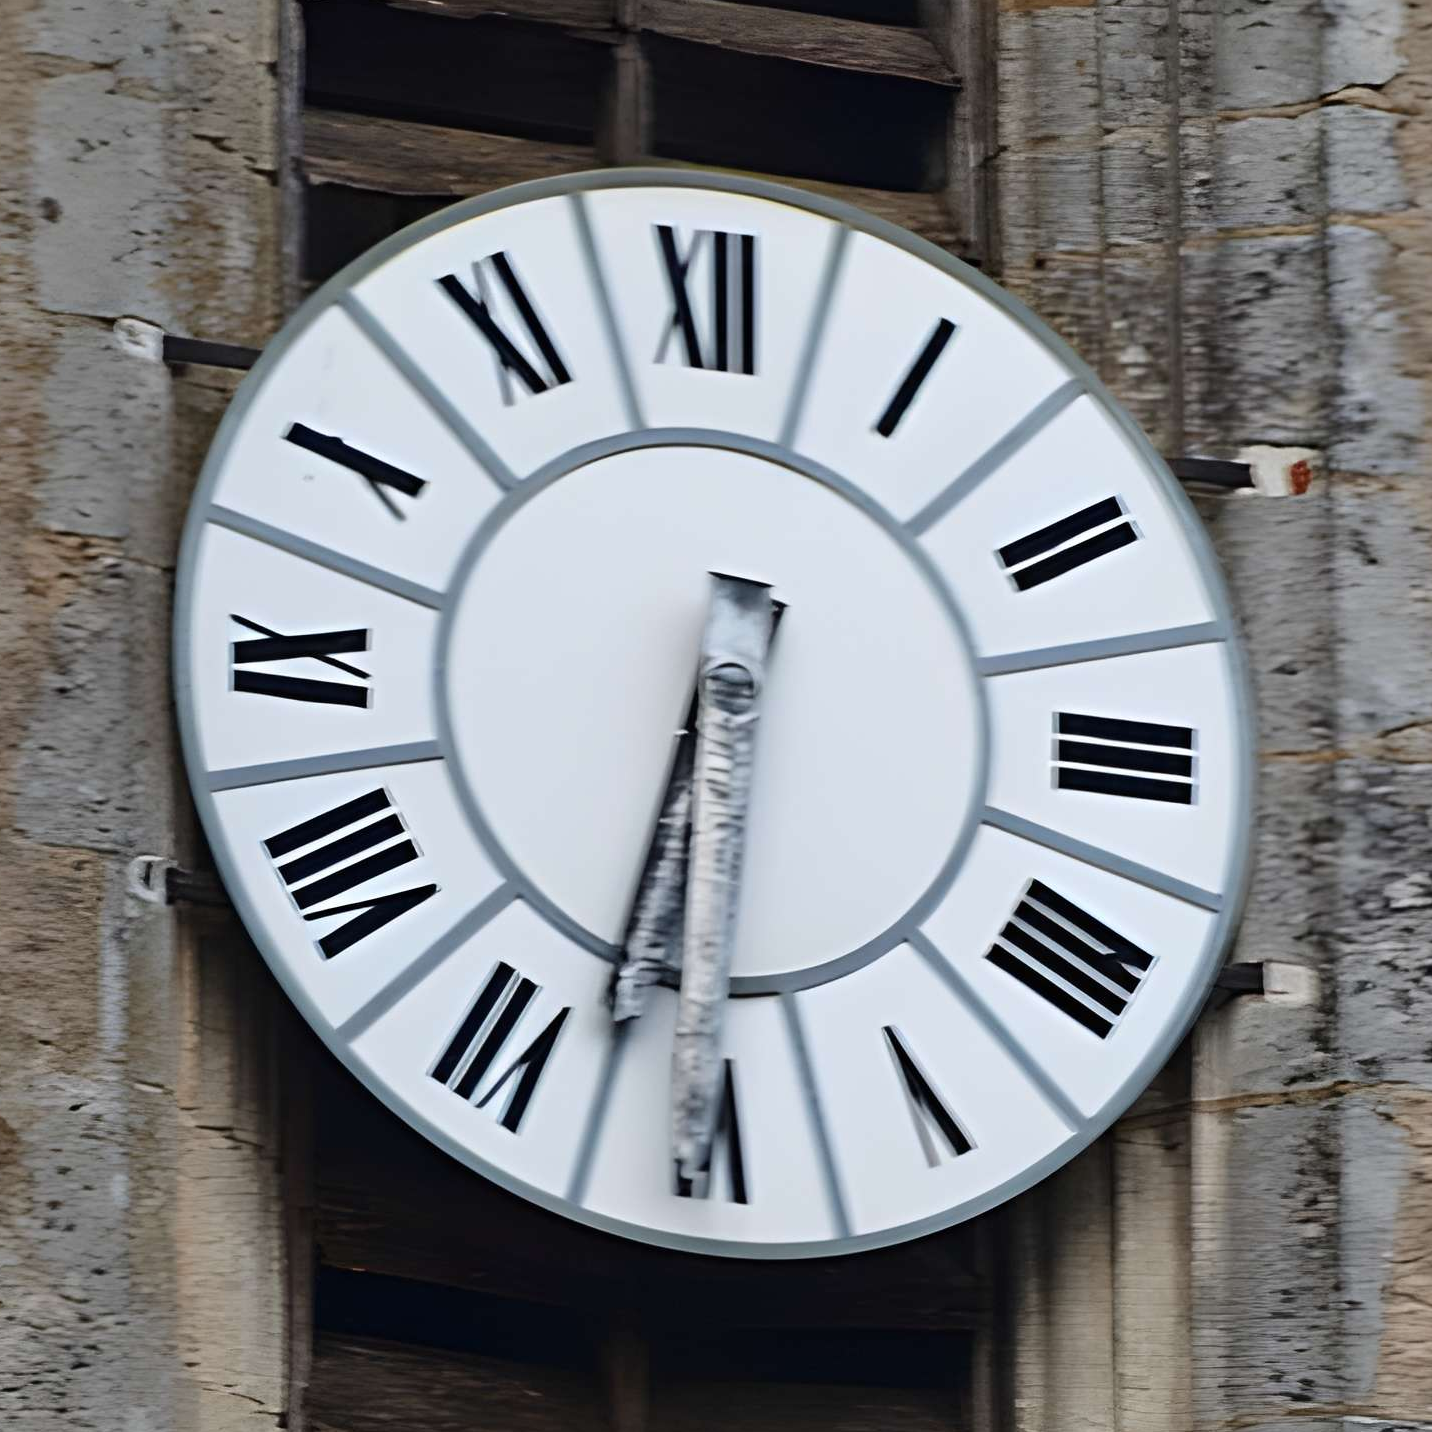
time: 6:32
